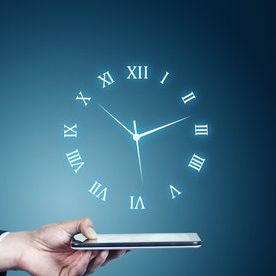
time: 2:28
